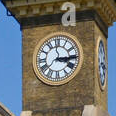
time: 3:14
